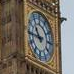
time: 10:45
